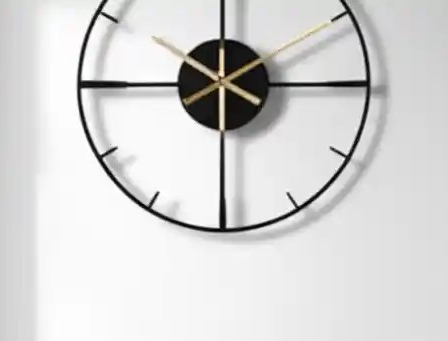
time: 10:14
